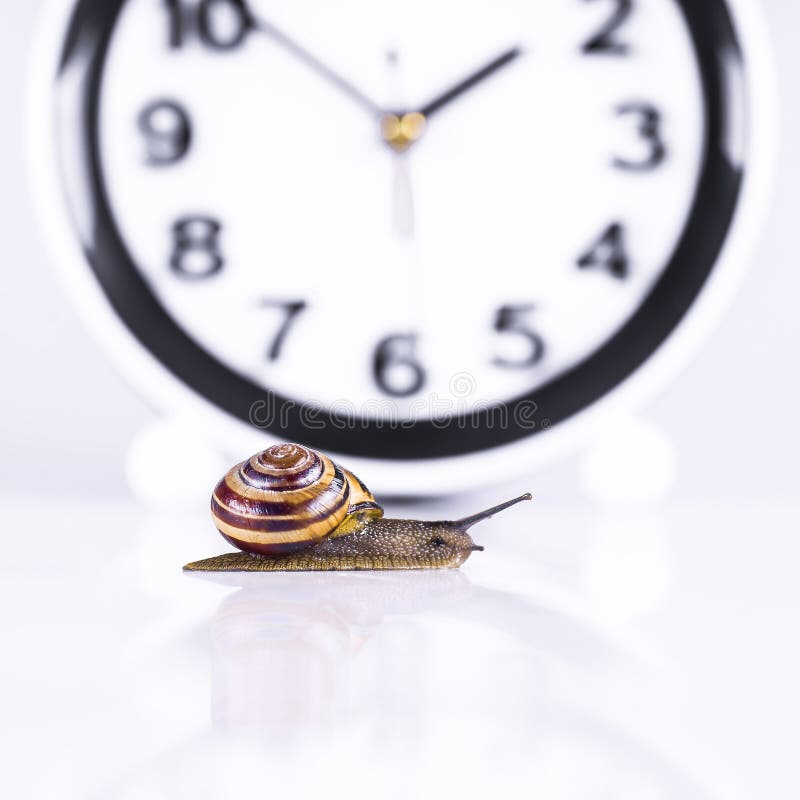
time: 1:51
